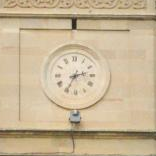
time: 2:35
